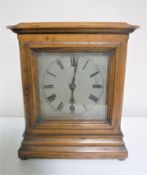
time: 6:01
